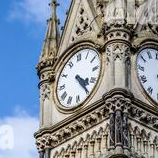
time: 4:24
